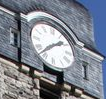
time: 1:37
